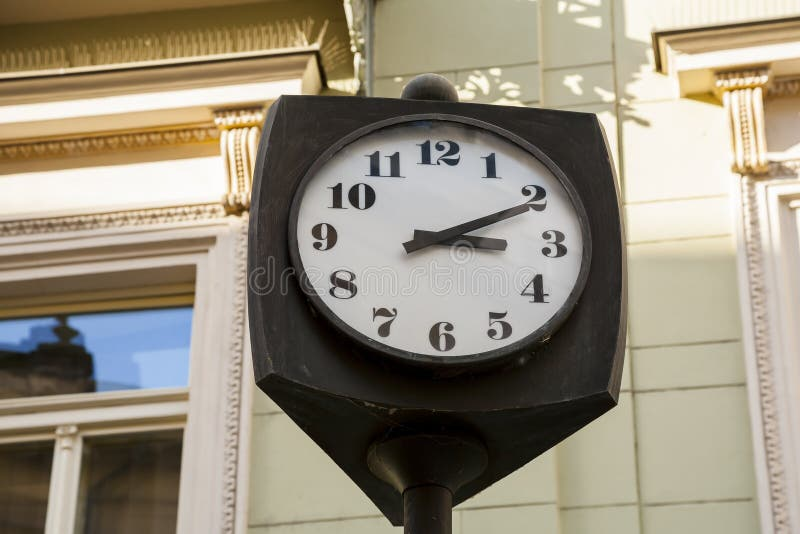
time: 3:10
